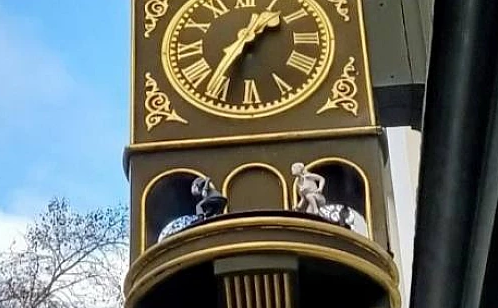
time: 1:36
